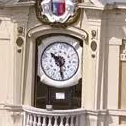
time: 10:28
